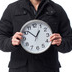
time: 12:52
